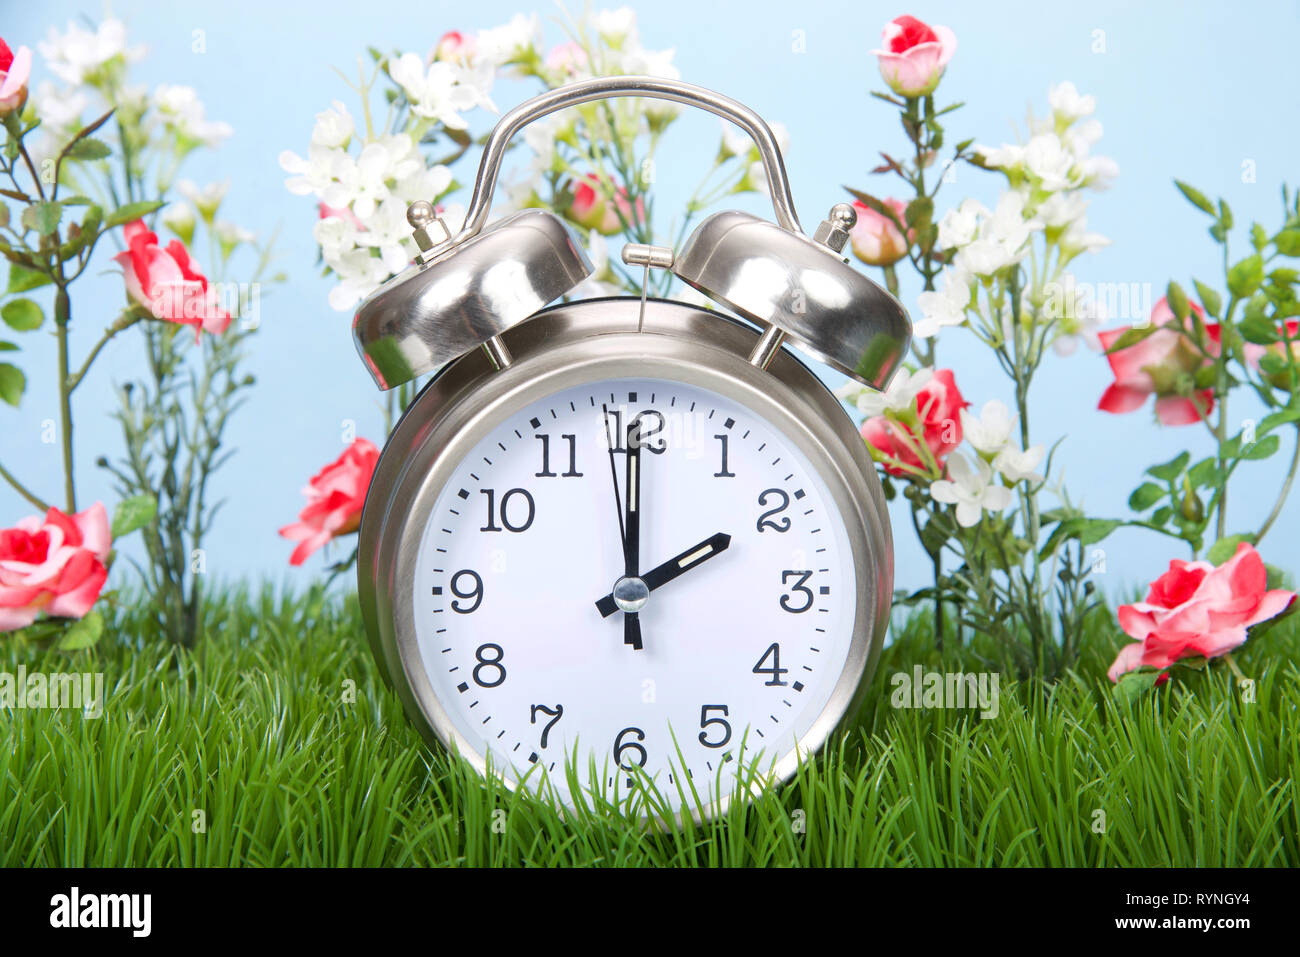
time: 2:00
